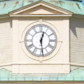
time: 12:28
